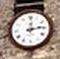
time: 12:13
